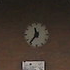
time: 11:36
